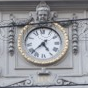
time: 4:37
